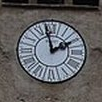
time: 1:57
